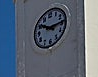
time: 10:14
